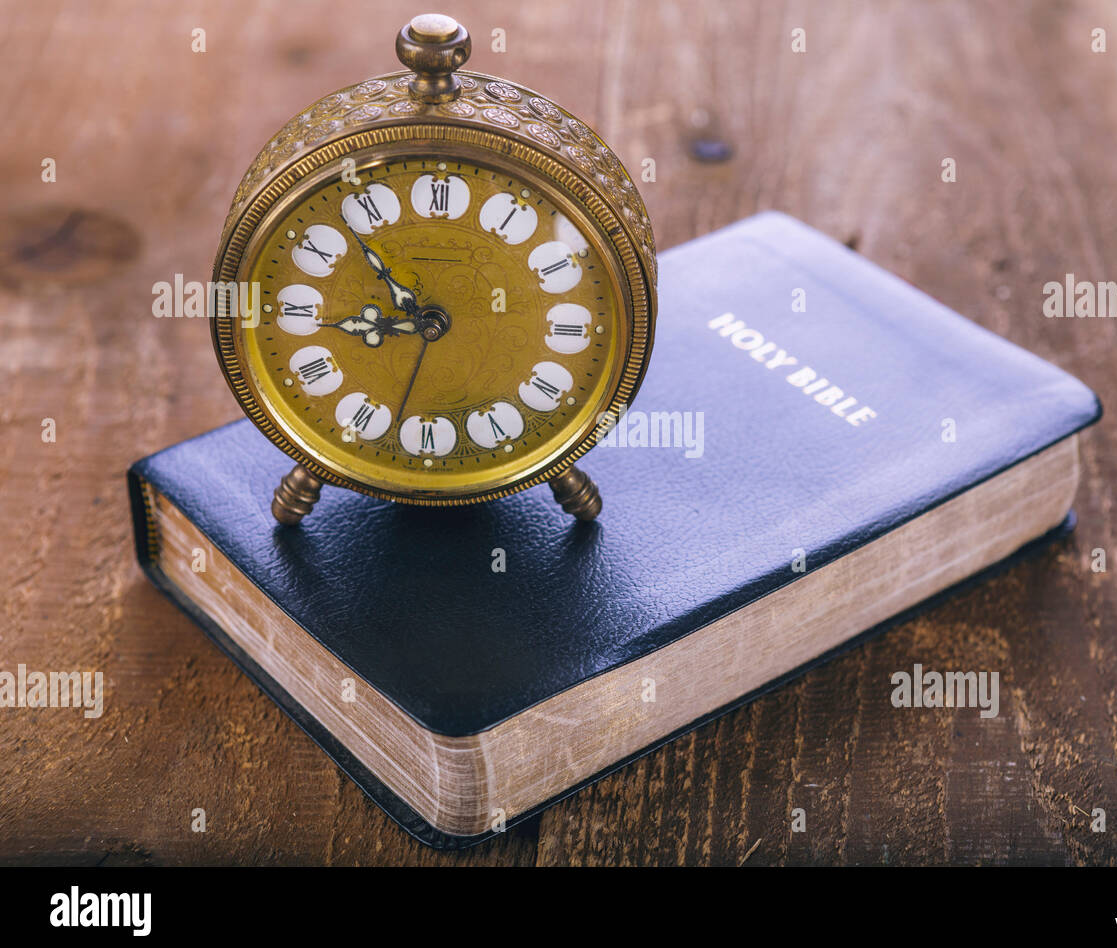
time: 8:53
